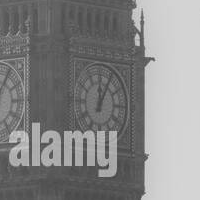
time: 12:04
